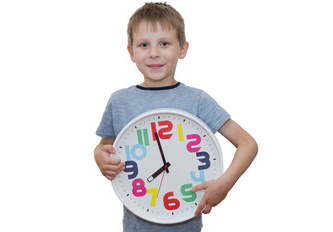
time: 7:58
